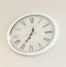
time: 12:34
